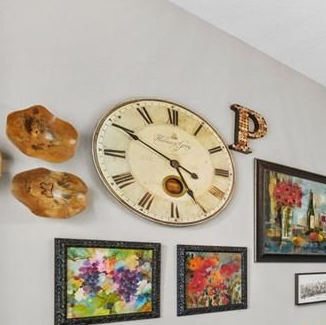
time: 4:49
